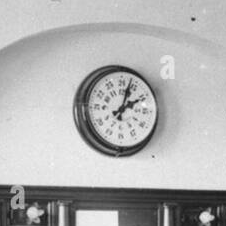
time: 2:03
